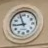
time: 8:56
